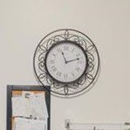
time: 11:12
